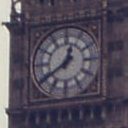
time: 12:39
